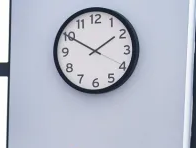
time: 1:50
